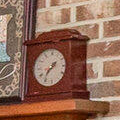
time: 1:36
